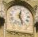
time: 12:26
